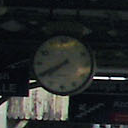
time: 7:40
